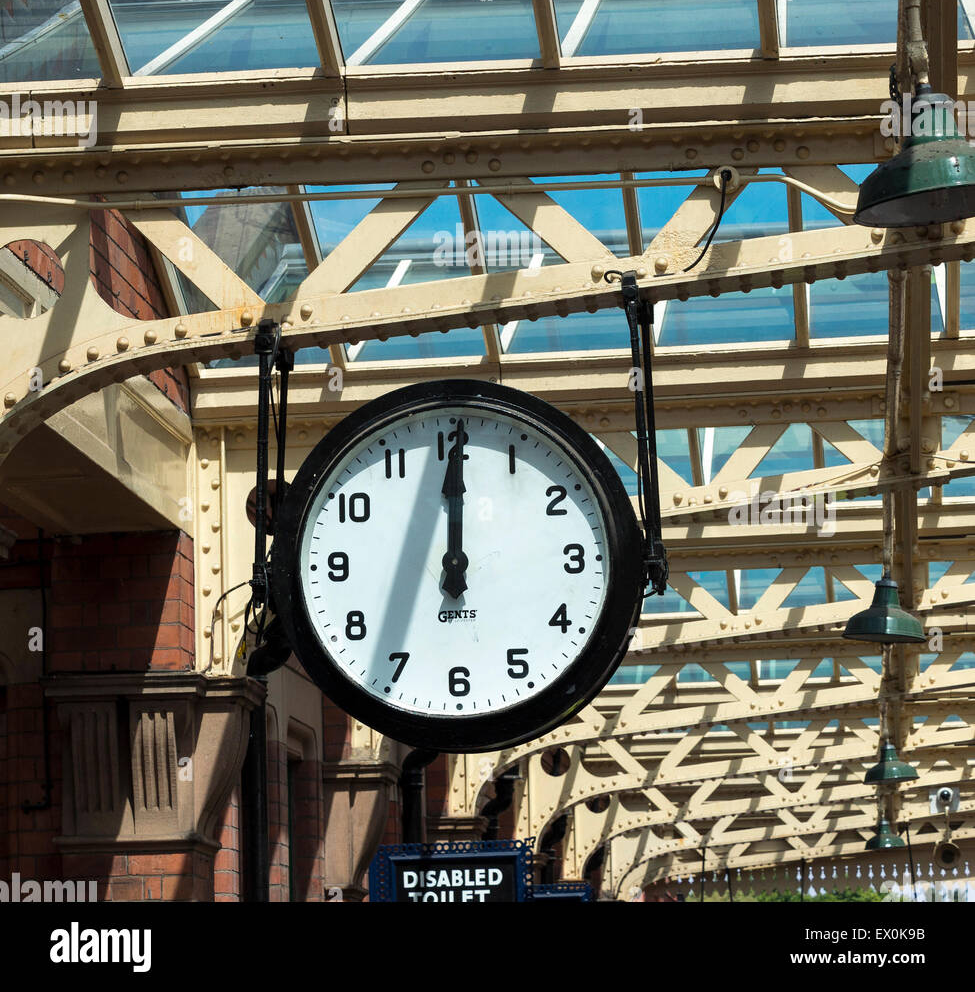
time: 12:00
